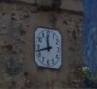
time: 11:42
